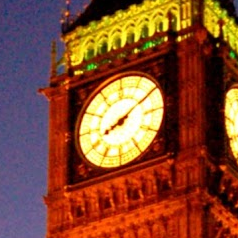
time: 8:09
